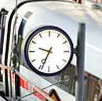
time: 9:34
